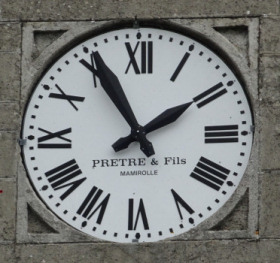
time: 1:54
